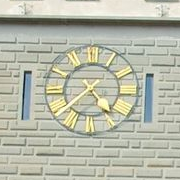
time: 4:37
